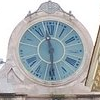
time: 11:29
